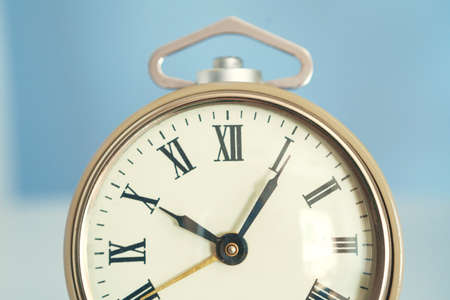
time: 10:05
